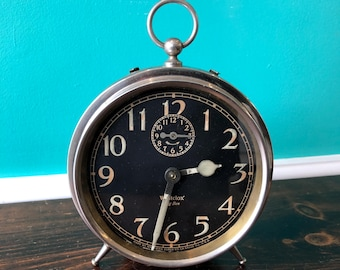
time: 2:32
